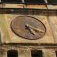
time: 5:18
